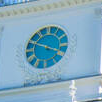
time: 3:48
